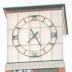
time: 7:24
